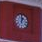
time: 1:00
